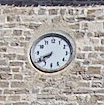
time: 7:40
